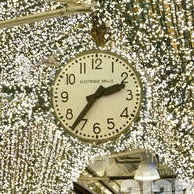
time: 2:36
